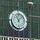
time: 11:07
